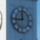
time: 11:44
